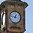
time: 12:46
